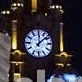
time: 12:07
